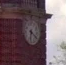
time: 6:21
